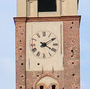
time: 4:09
